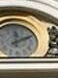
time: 12:10
